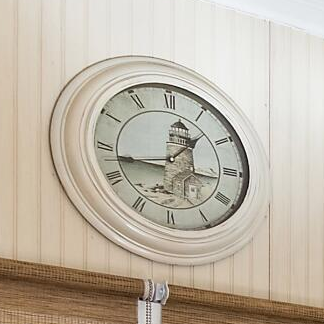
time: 1:43
